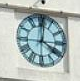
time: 4:00
